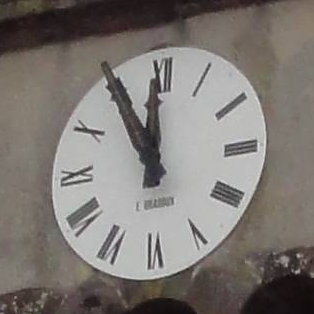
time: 11:55
